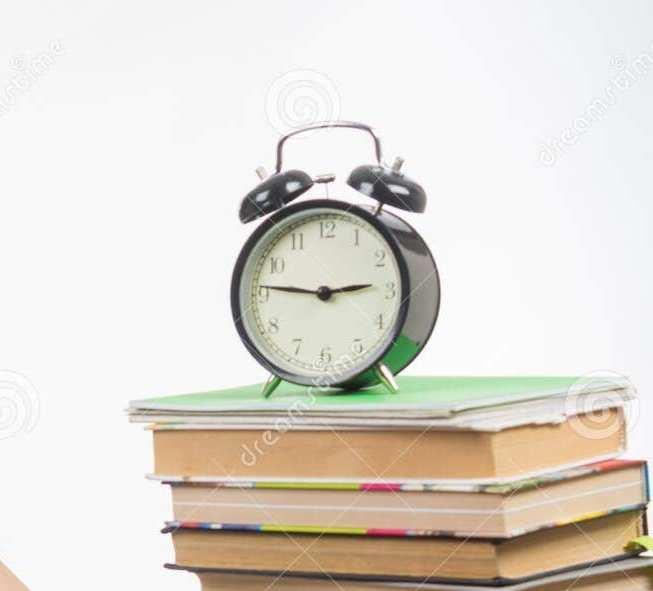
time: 2:46
